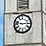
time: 2:46
